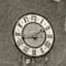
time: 1:43
